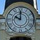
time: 9:59
